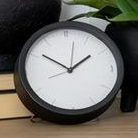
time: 1:50
